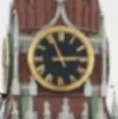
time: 2:56
